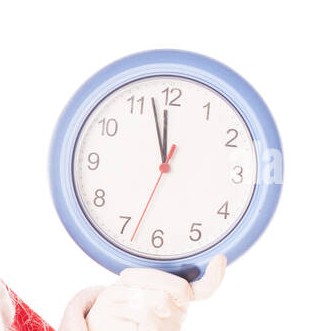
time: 11:57
